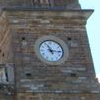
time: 11:15
